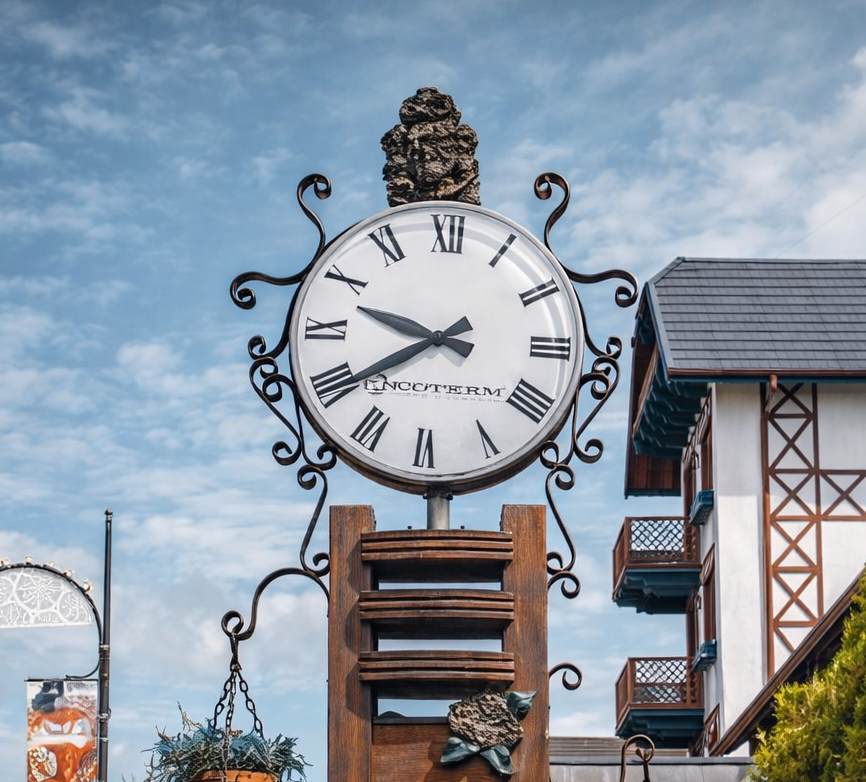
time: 9:39
